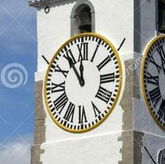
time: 11:54
